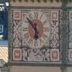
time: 5:54
